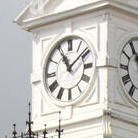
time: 11:08
